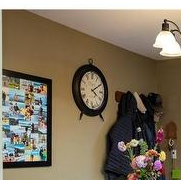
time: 4:09
